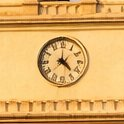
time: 4:38
